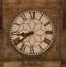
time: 8:39
